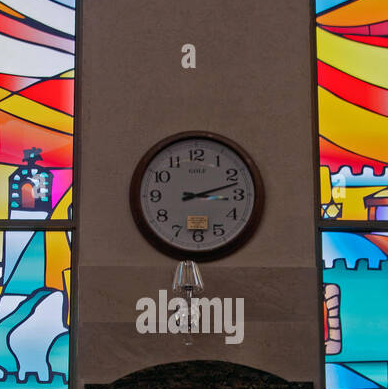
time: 3:12
